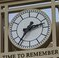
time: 2:36
